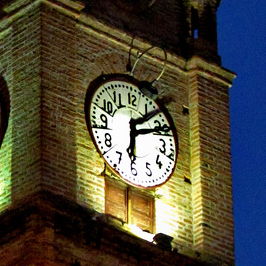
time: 6:10
